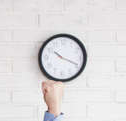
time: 10:18
